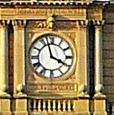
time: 3:57
